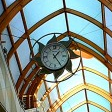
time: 1:24
